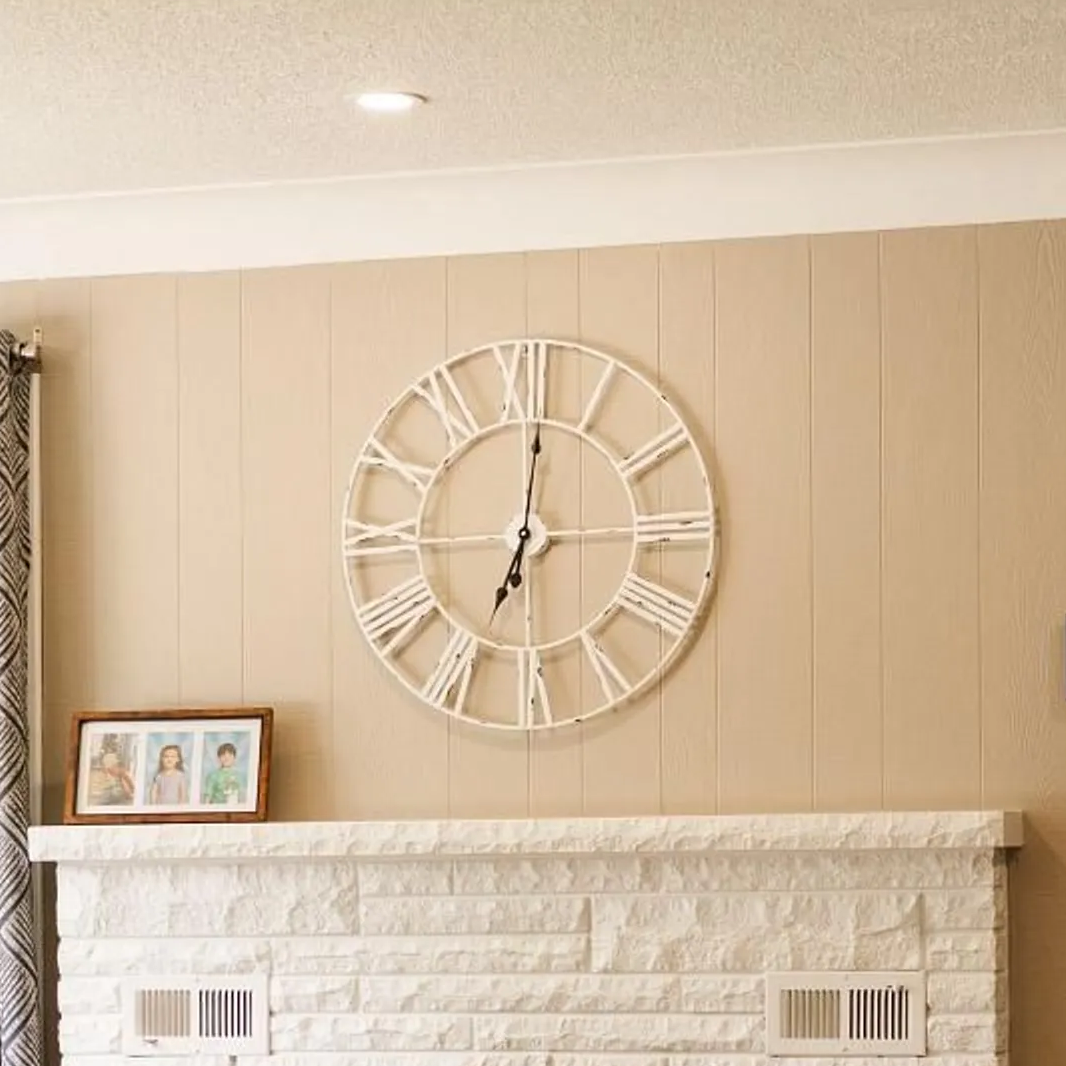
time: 7:01
